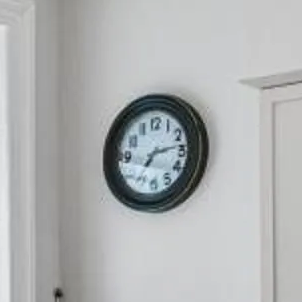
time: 7:13
